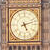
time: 5:12
